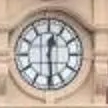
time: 12:29
